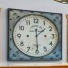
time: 1:29
